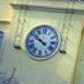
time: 9:51
